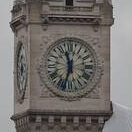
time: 11:33
